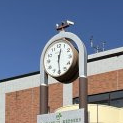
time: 12:29
